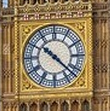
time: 10:22
